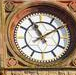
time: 11:09
